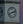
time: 2:41
